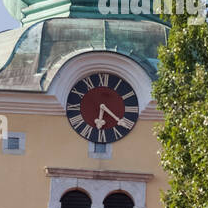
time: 6:21
